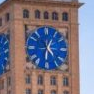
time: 4:31
